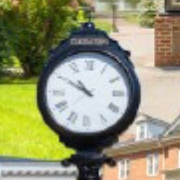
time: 10:50
